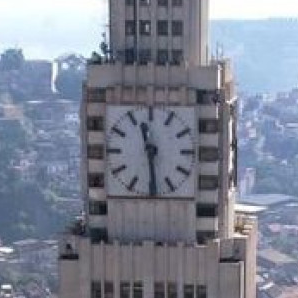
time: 11:29
